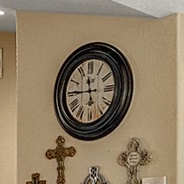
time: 11:45
